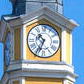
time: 10:34
